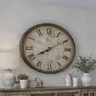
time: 8:09
